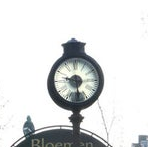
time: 9:28
